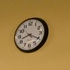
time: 8:19
